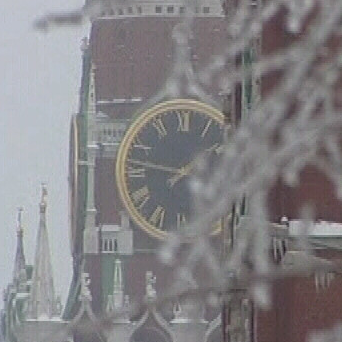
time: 1:47
